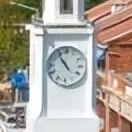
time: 10:53
